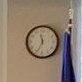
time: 11:34
